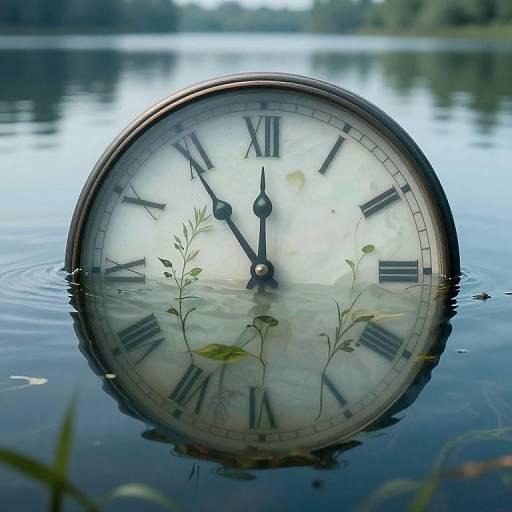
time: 11:54
